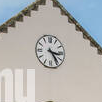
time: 3:23
